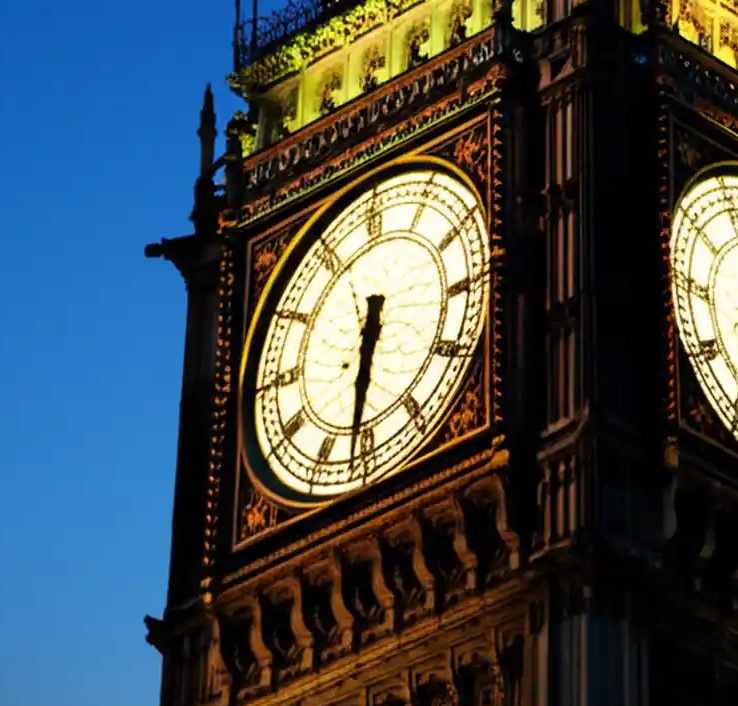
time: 6:31
